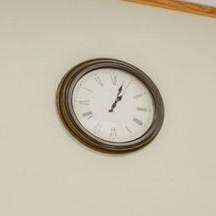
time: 1:03
